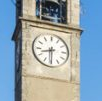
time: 8:30
